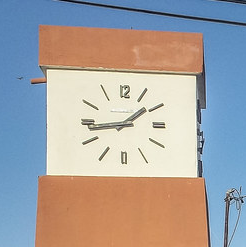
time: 1:43
